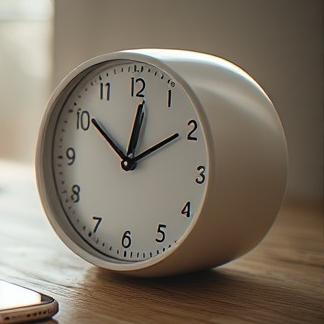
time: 12:09
